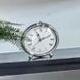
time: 11:11
